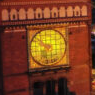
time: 5:51
